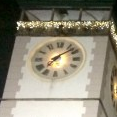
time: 7:08
